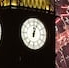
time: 12:03
